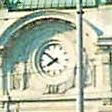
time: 7:51
